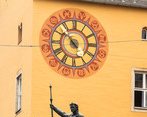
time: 4:52
